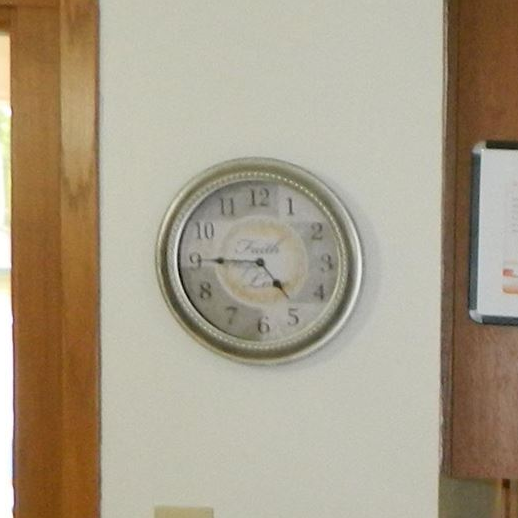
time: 4:45
